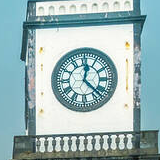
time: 12:22
